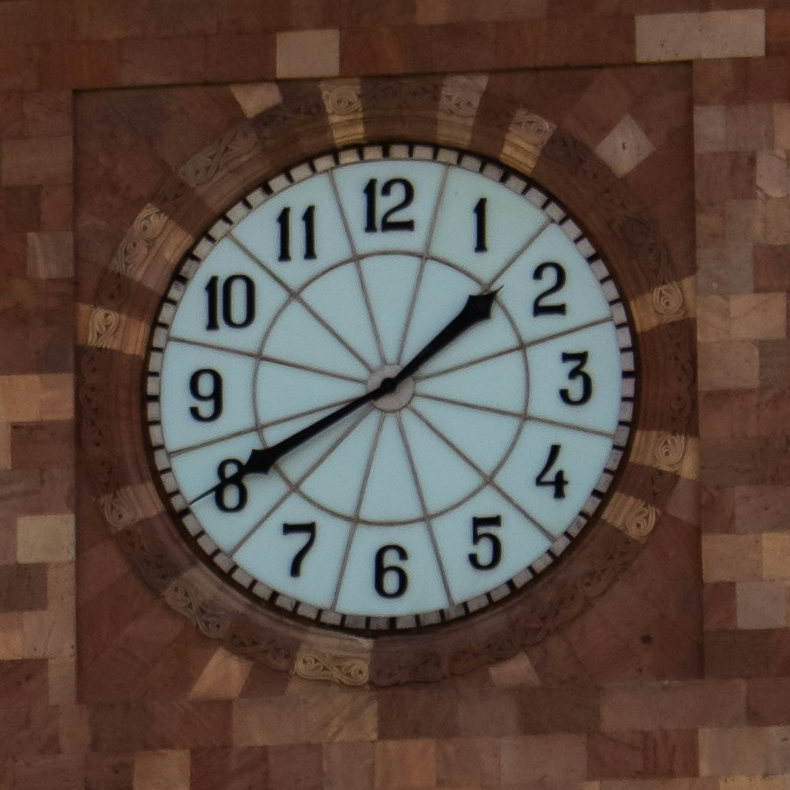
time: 1:40
